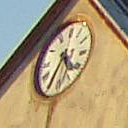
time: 4:34
